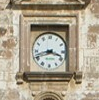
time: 3:42
